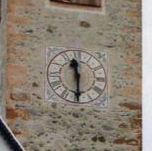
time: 11:29
